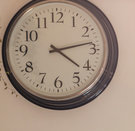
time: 4:13
